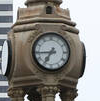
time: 6:44
